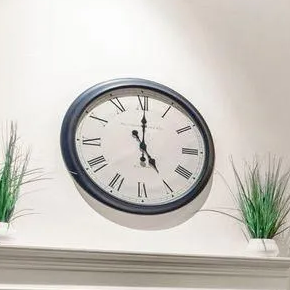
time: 5:00
